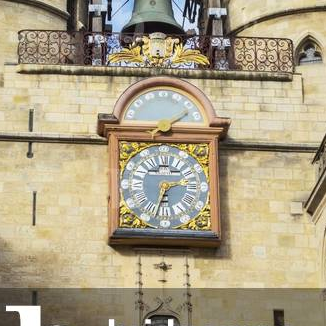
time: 2:33
